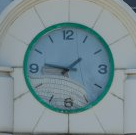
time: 1:46
